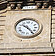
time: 10:24
